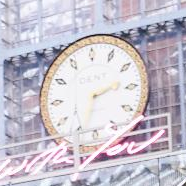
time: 2:33
